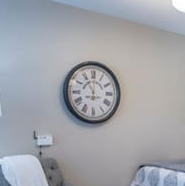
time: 11:00
